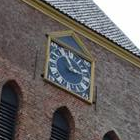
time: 2:56
